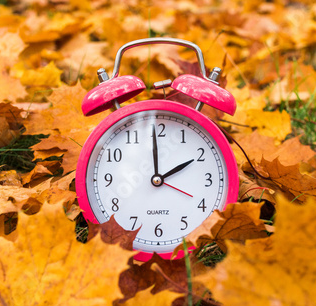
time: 1:59
